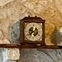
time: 9:38
